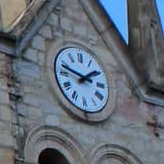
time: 1:47
